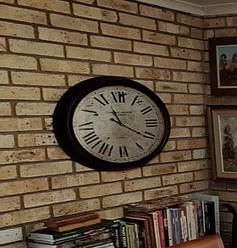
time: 11:20
